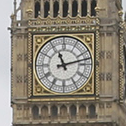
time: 11:12
